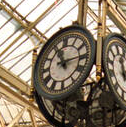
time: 11:14
